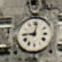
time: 9:01
